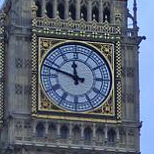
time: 11:47
